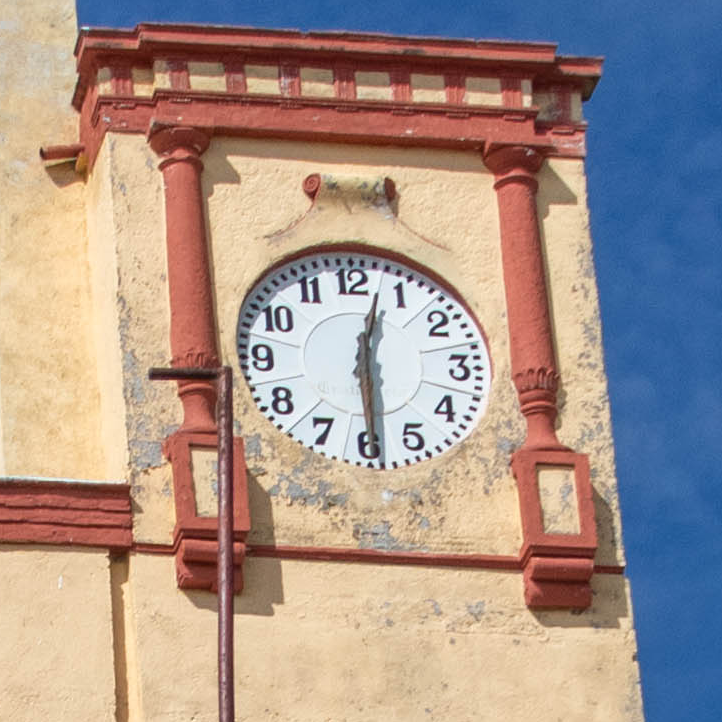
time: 12:29
